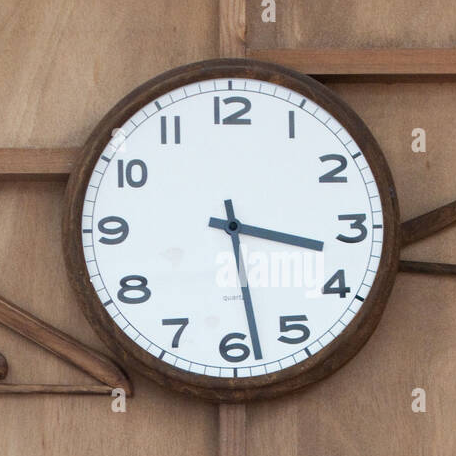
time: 3:28
